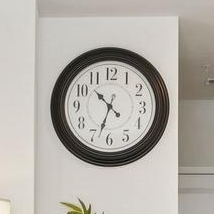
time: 10:33
